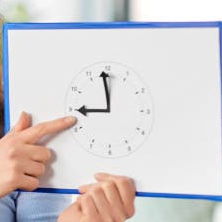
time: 8:58
